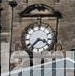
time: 3:37
